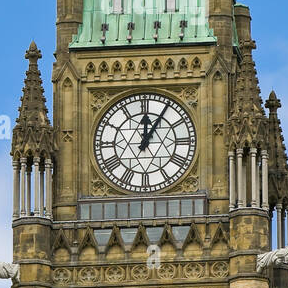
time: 12:05
